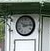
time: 10:13
